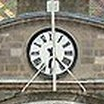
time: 6:23
